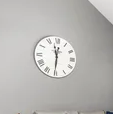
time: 11:30
